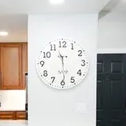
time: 11:29
